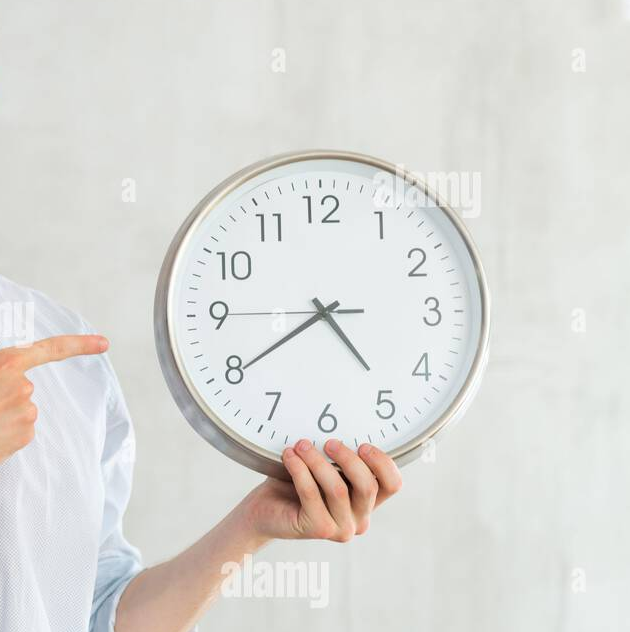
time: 4:39
